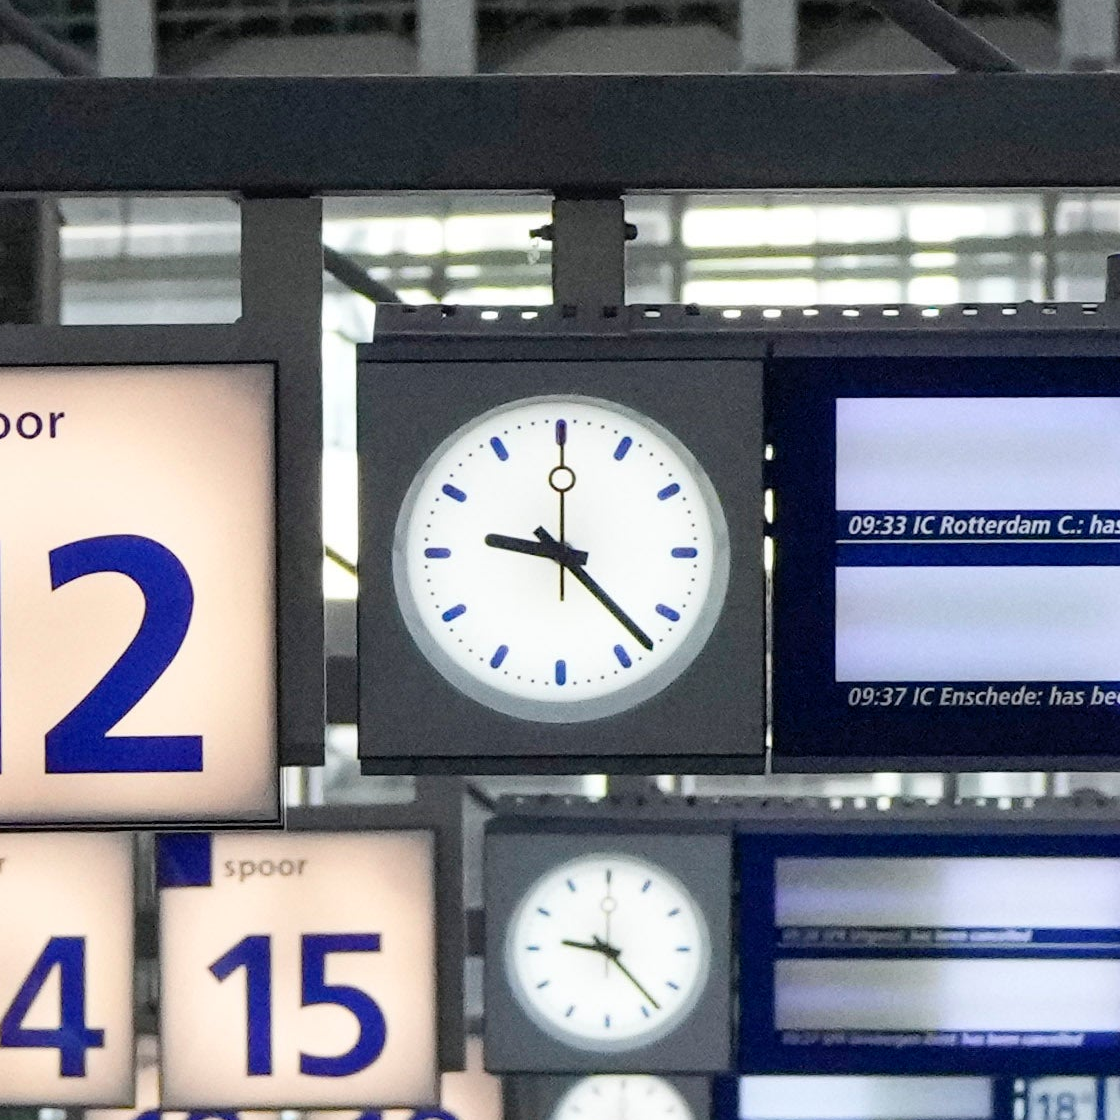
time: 9:22
